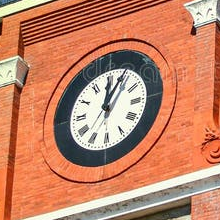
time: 12:04
